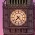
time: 7:23
